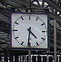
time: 4:31
